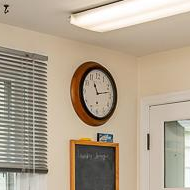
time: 11:13
